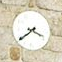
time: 3:38
